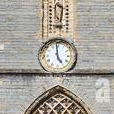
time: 4:59
